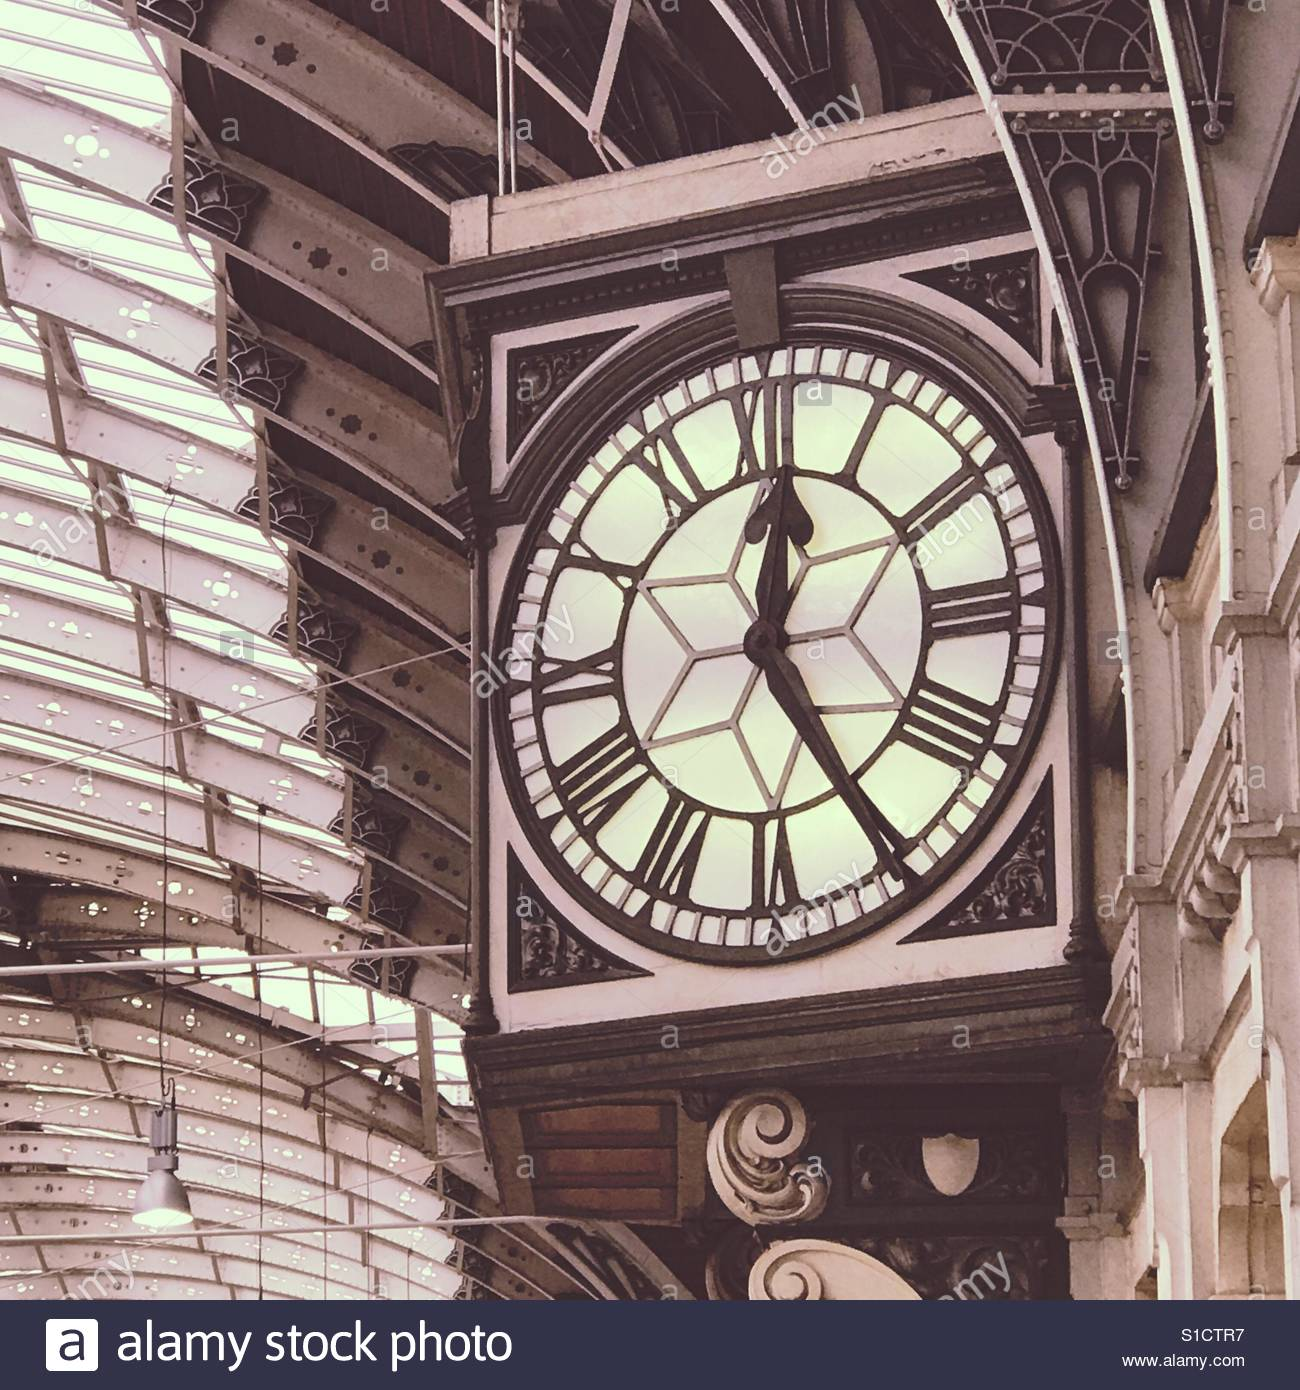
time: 12:24
